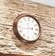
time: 2:42
